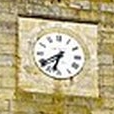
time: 6:39
